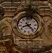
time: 8:23
